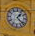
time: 1:21
